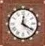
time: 12:20
